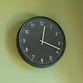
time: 12:18
